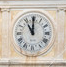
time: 11:00
